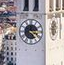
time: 2:23
